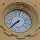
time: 7:37
